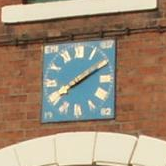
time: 8:10
